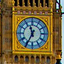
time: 11:34
